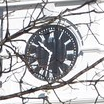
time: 10:32
